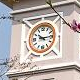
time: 10:14
